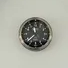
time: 11:37
